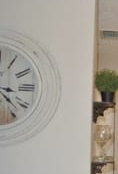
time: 3:22
